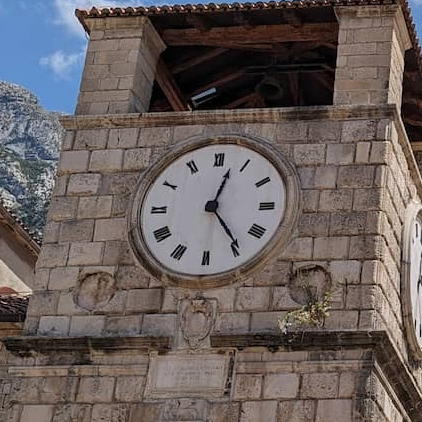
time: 12:24
